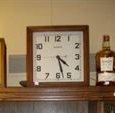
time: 4:27
